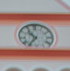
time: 10:36
